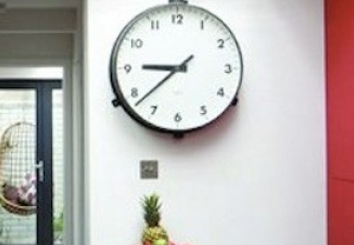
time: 8:38
